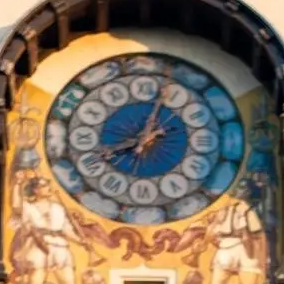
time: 8:01
